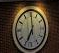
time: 7:00
